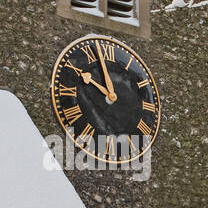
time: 9:57
